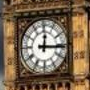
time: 12:15
